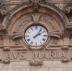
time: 2:06
